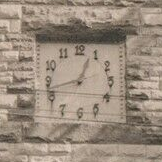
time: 12:42
